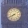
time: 7:40
